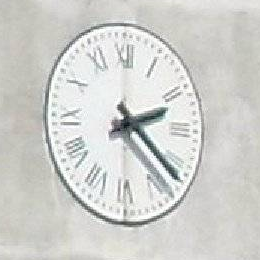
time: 2:21
